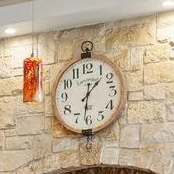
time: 1:31
